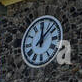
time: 12:07
